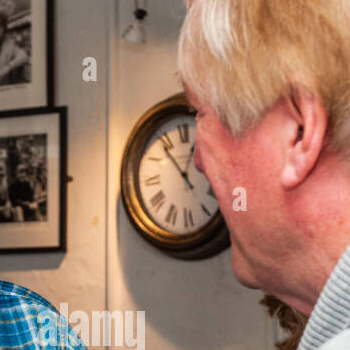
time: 12:53
